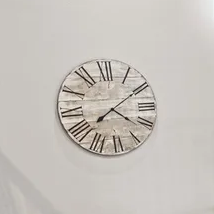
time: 4:09
